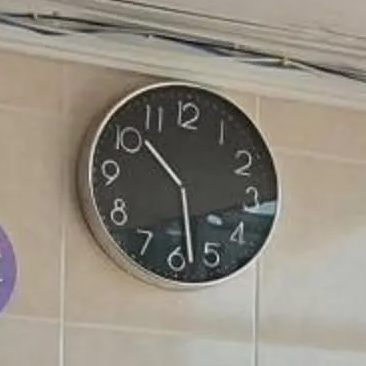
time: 10:28
